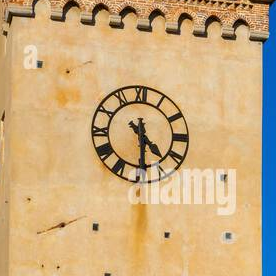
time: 4:29
